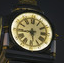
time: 5:43
